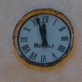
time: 11:56
